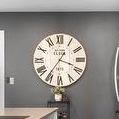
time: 3:36
